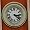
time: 3:22
